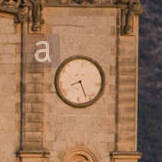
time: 8:25
